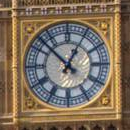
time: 12:52
